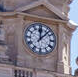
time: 12:07
